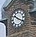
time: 10:19
